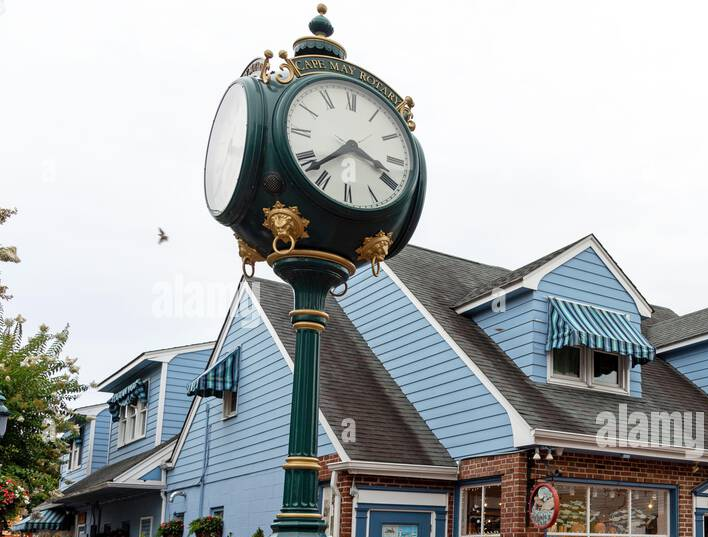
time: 3:38
